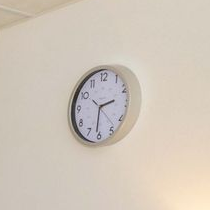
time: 2:31
